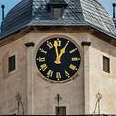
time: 12:58
